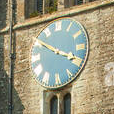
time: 3:50
